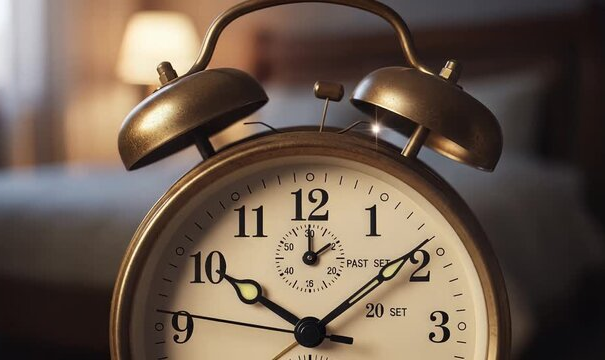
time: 10:08
